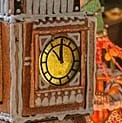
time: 11:52
